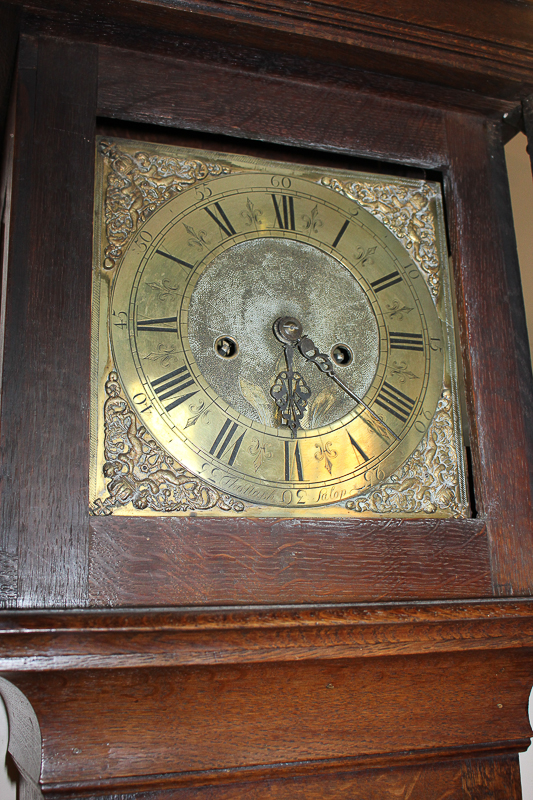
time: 3:30
